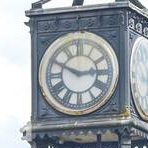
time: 2:49
